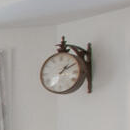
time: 1:09
